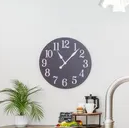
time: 11:07
